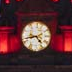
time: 4:42
